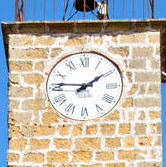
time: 1:46
